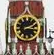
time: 2:16
